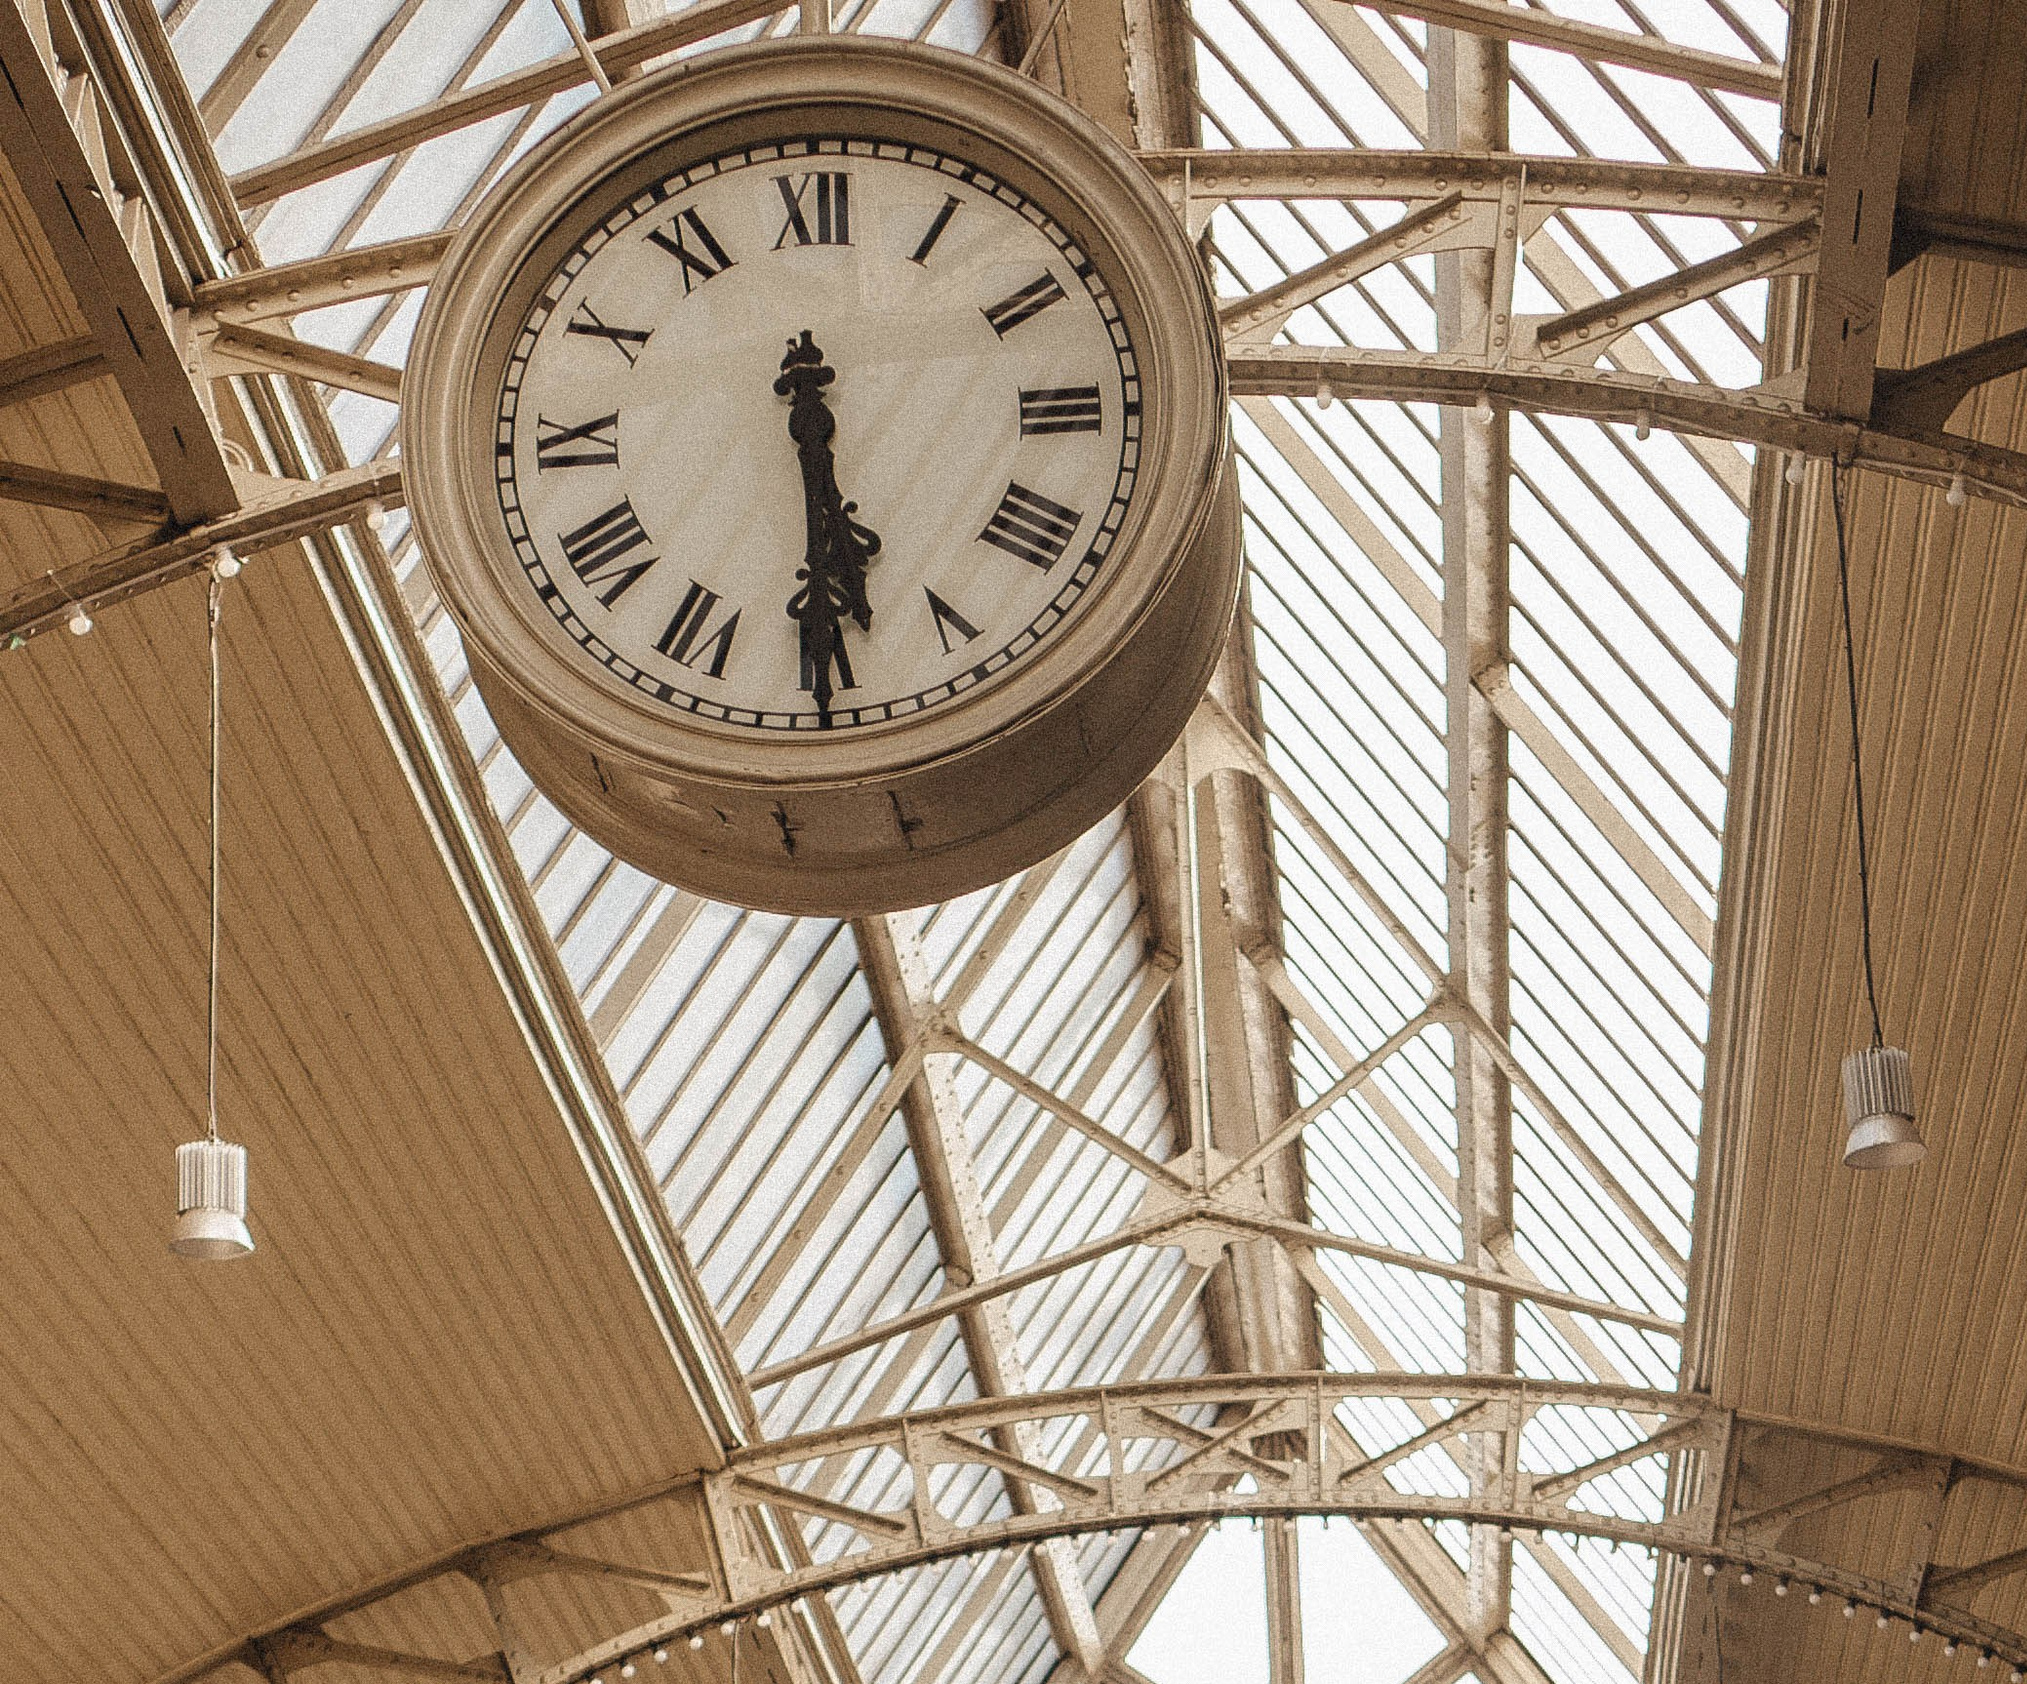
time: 5:29
